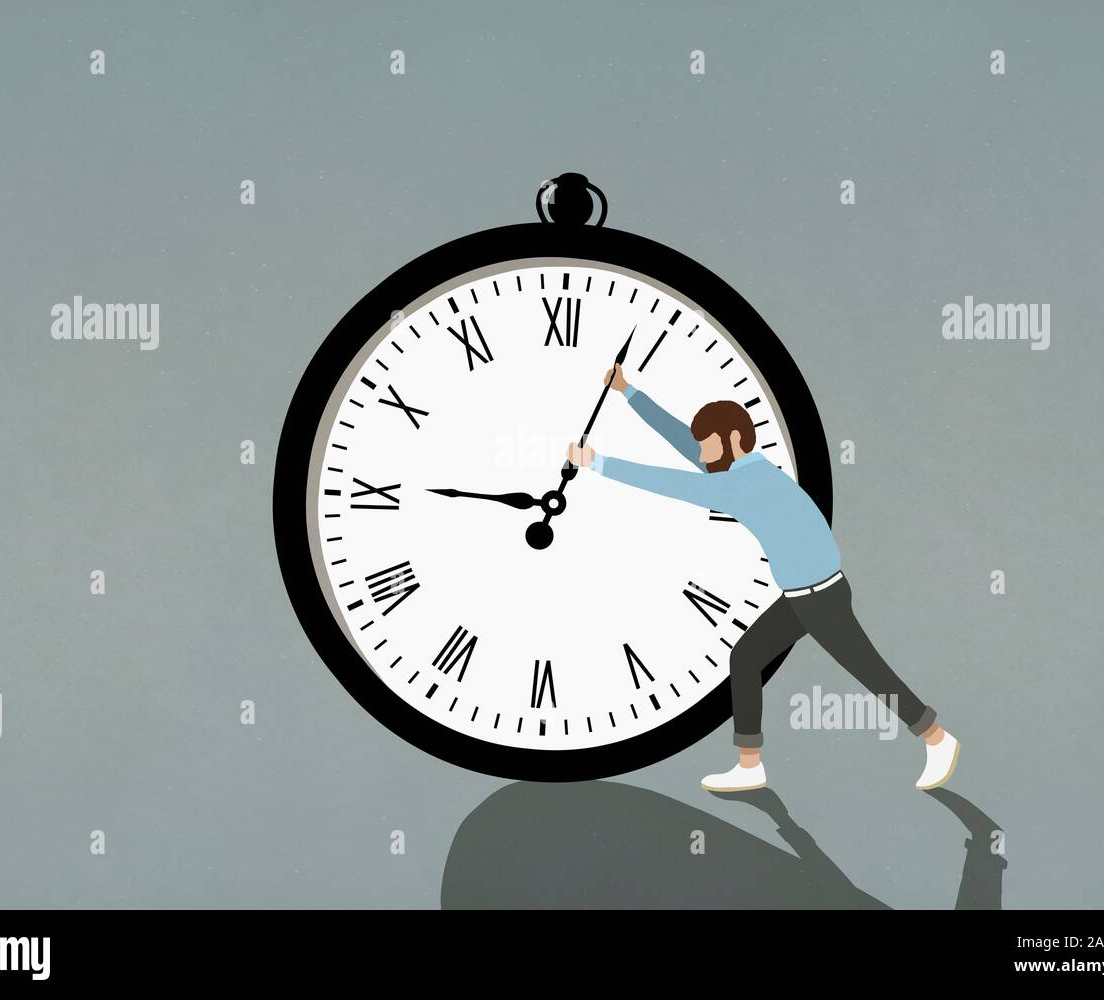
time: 9:03
